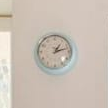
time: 1:12
